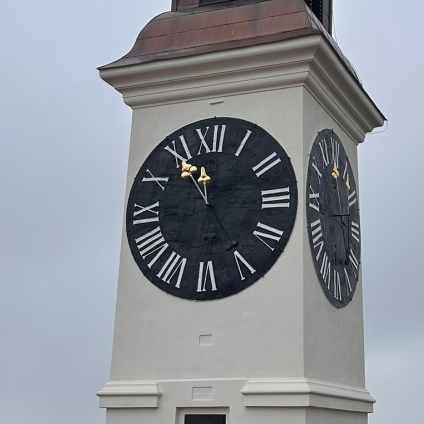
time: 11:55
